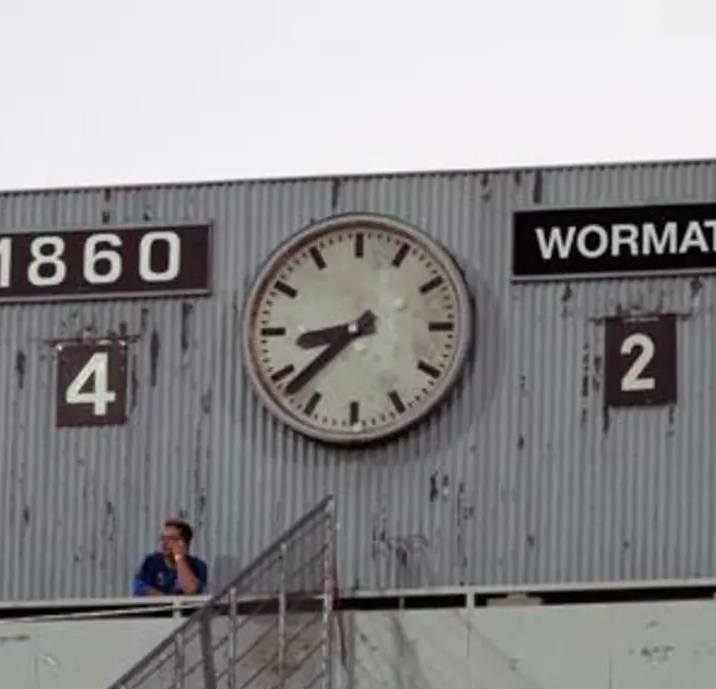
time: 8:38
